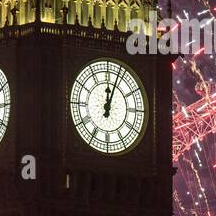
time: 12:03
